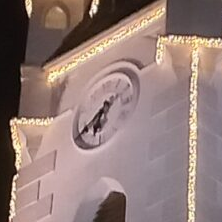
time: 6:38
